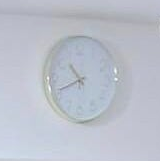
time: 10:41
